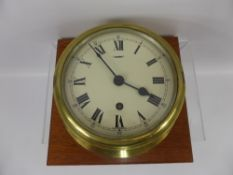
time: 3:53
